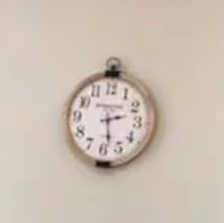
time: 2:28
